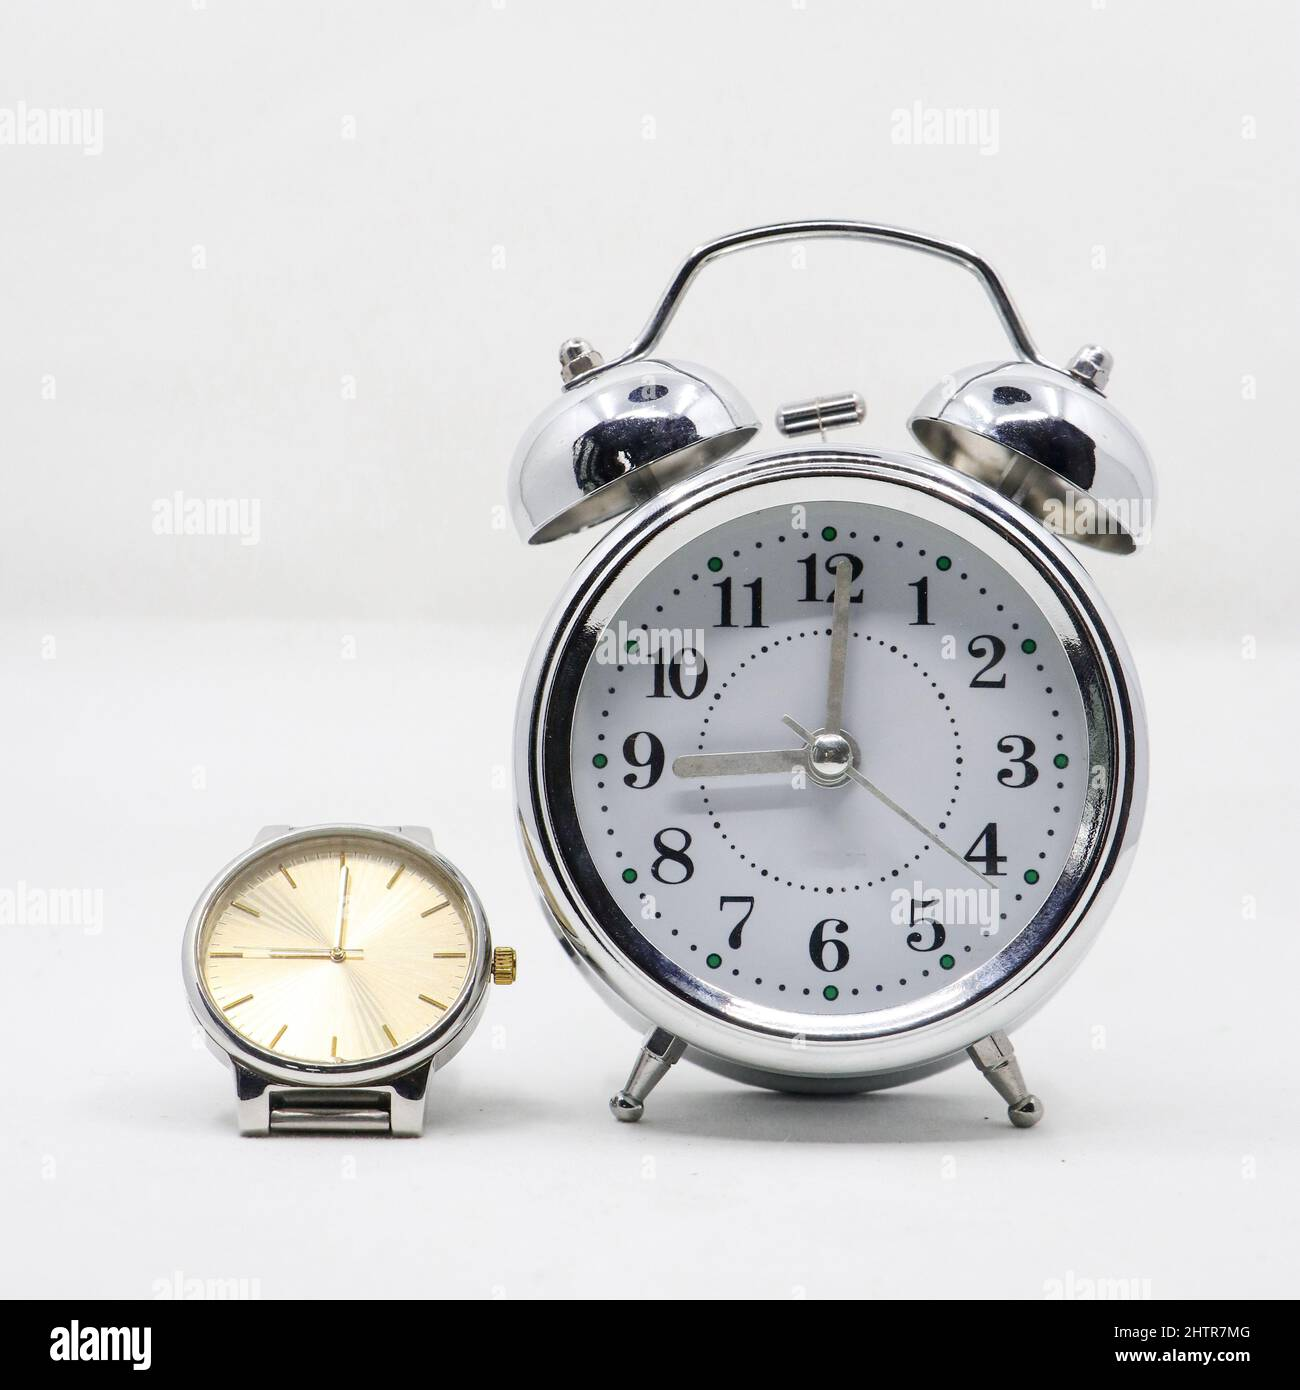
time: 9:01
